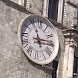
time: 11:13
